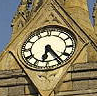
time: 6:23
